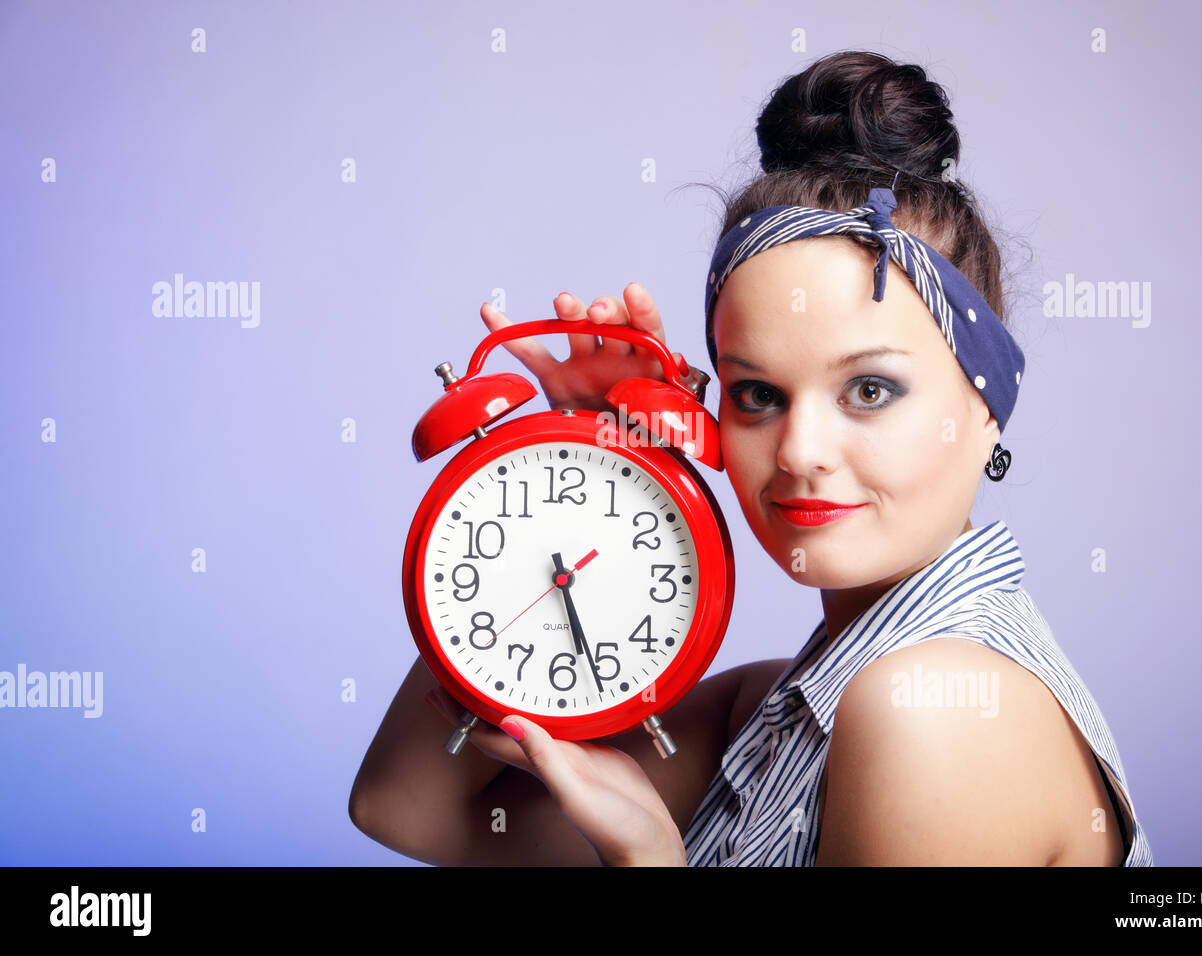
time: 5:26
